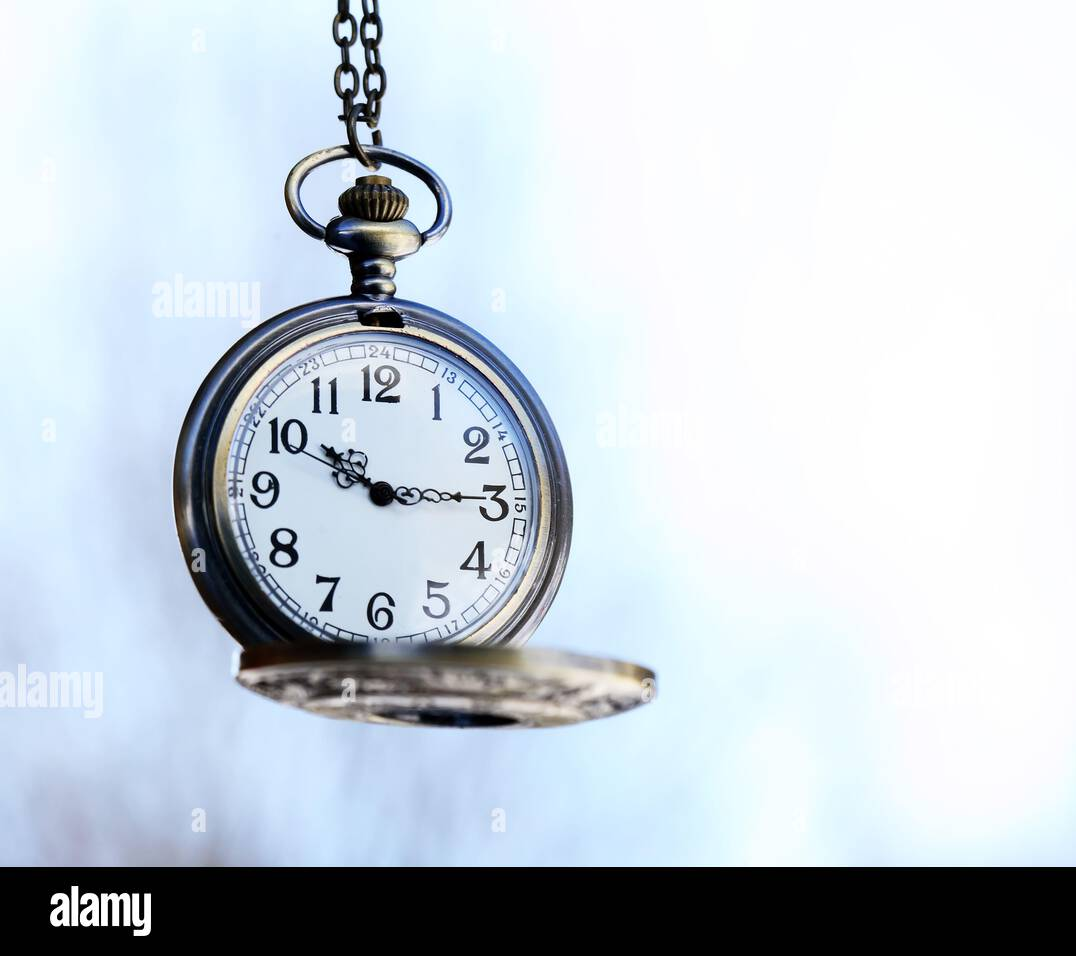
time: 10:14
